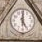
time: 5:00
